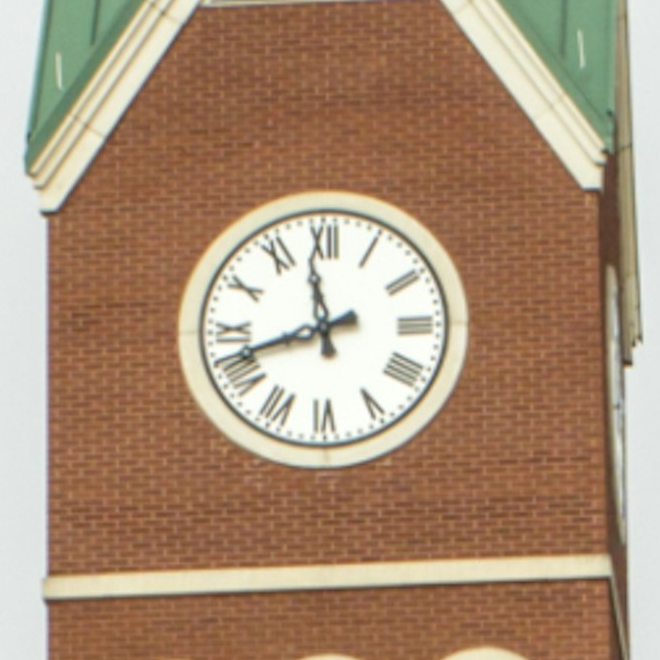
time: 11:41
